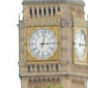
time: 3:02
